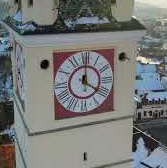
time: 4:00
